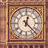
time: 12:22
